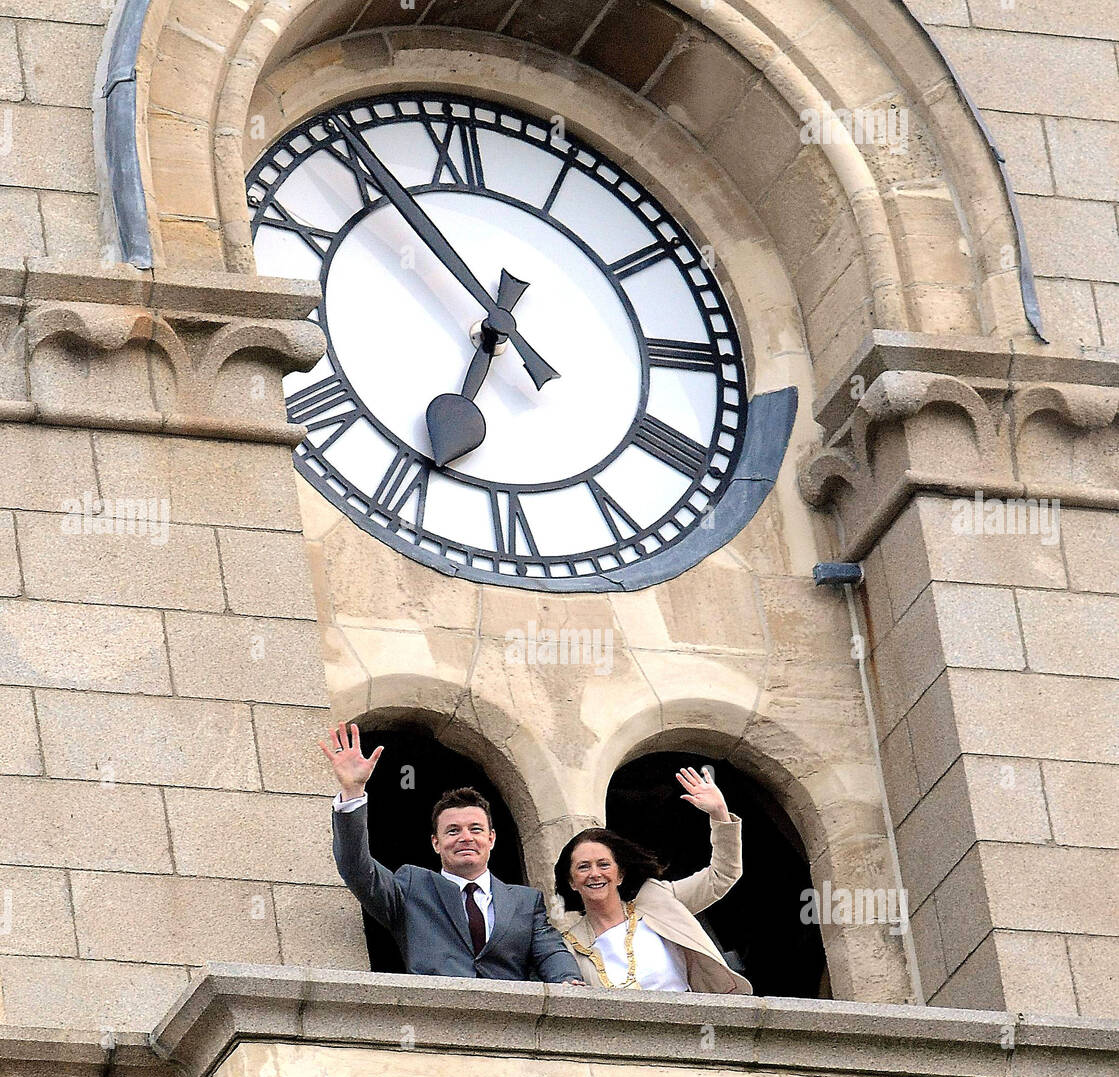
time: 6:54
